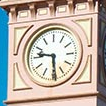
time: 5:46
